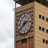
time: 2:38
